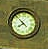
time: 7:52
